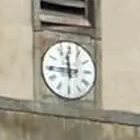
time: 11:45
